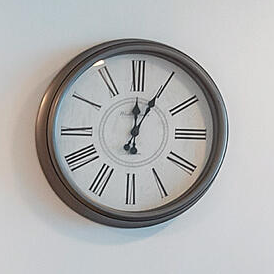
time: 12:04
